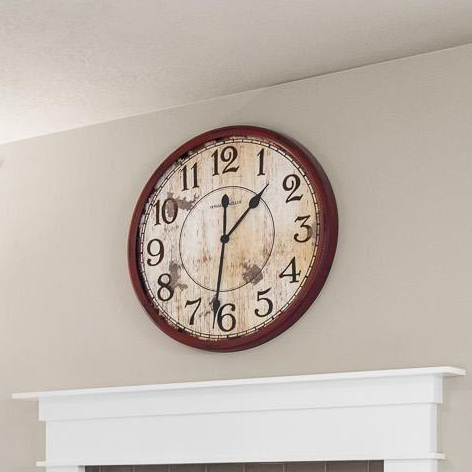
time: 1:31
